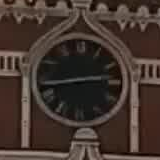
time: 2:43
